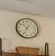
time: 10:34
